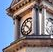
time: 10:22
